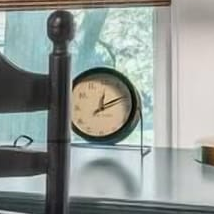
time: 12:10
